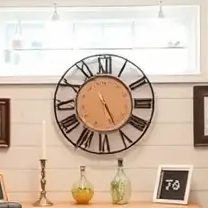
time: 5:25
